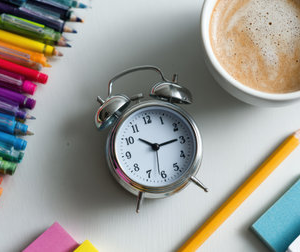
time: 10:14
